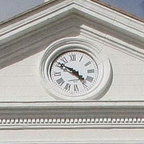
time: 4:50
